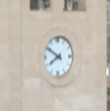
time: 7:50
